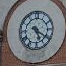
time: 5:20
